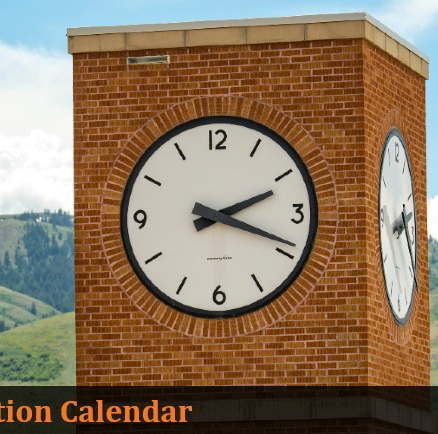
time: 2:18
